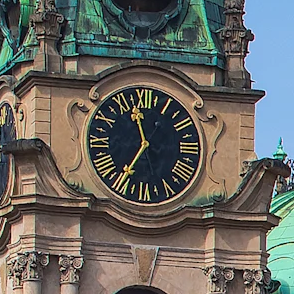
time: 11:35
